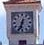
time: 12:33
